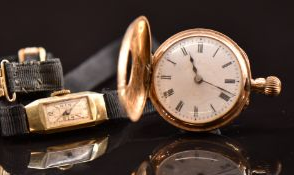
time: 11:18
